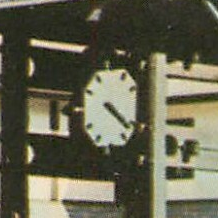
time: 4:21
